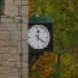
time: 12:21
